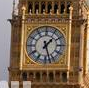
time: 1:27
